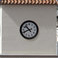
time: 10:41
